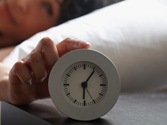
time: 6:05
